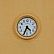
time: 4:34
